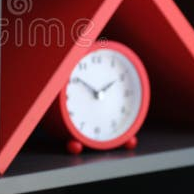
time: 1:51
